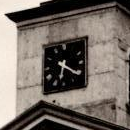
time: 6:21
